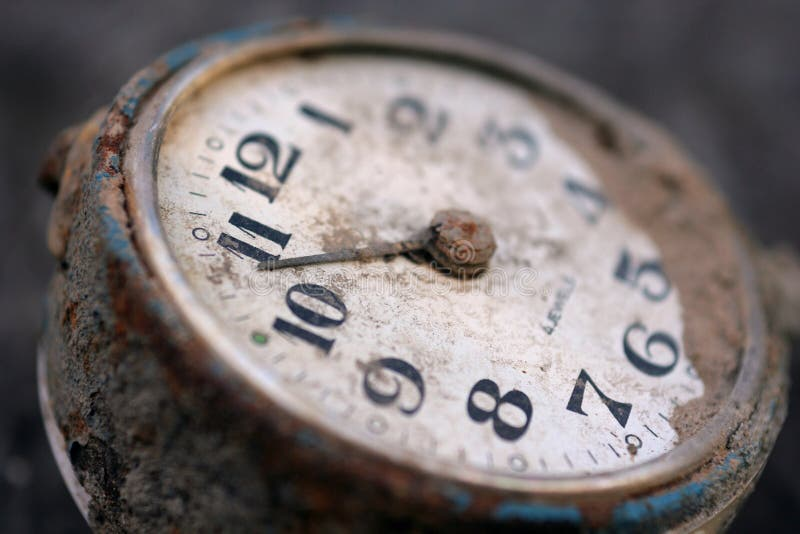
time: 8:43
